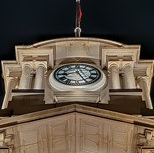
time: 8:25
